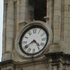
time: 4:39
